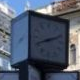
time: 8:11
